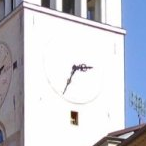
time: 2:34
